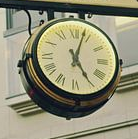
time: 5:03
